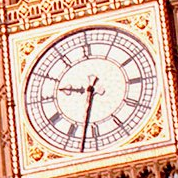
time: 9:32
